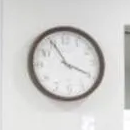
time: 3:55
